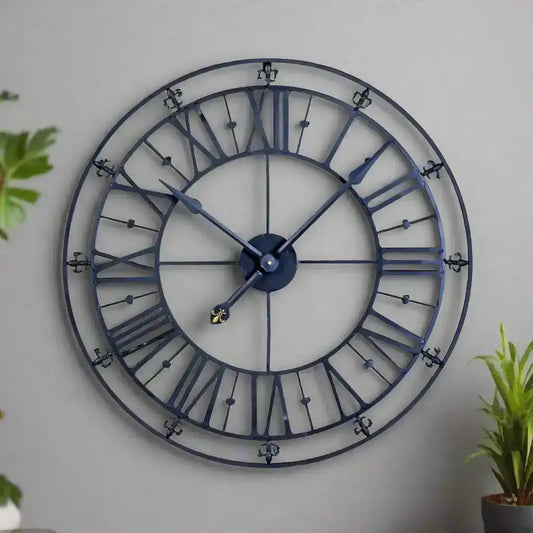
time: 10:07
